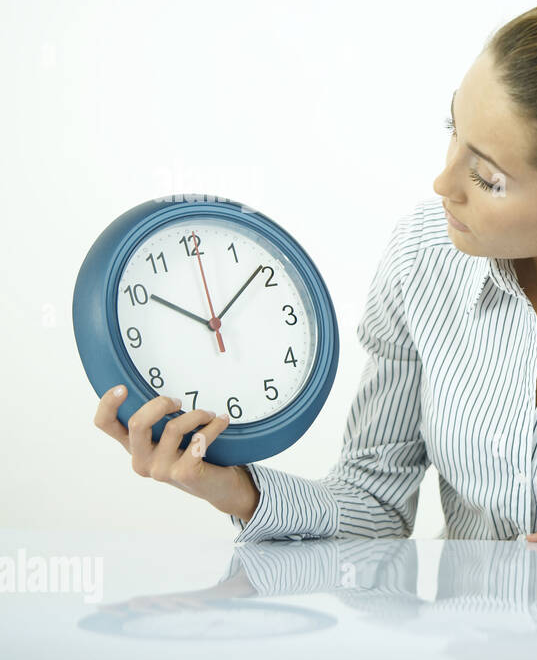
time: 10:08
